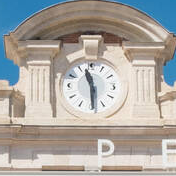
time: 11:29
